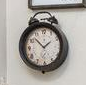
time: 1:52
